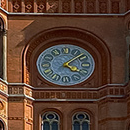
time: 4:08
